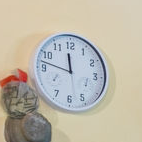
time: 11:47
